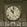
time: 11:02
